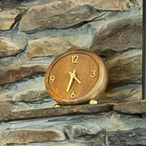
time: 4:32
